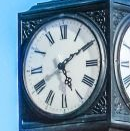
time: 5:09
